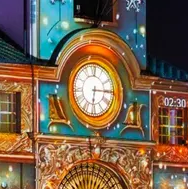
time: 6:15
